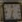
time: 6:32
